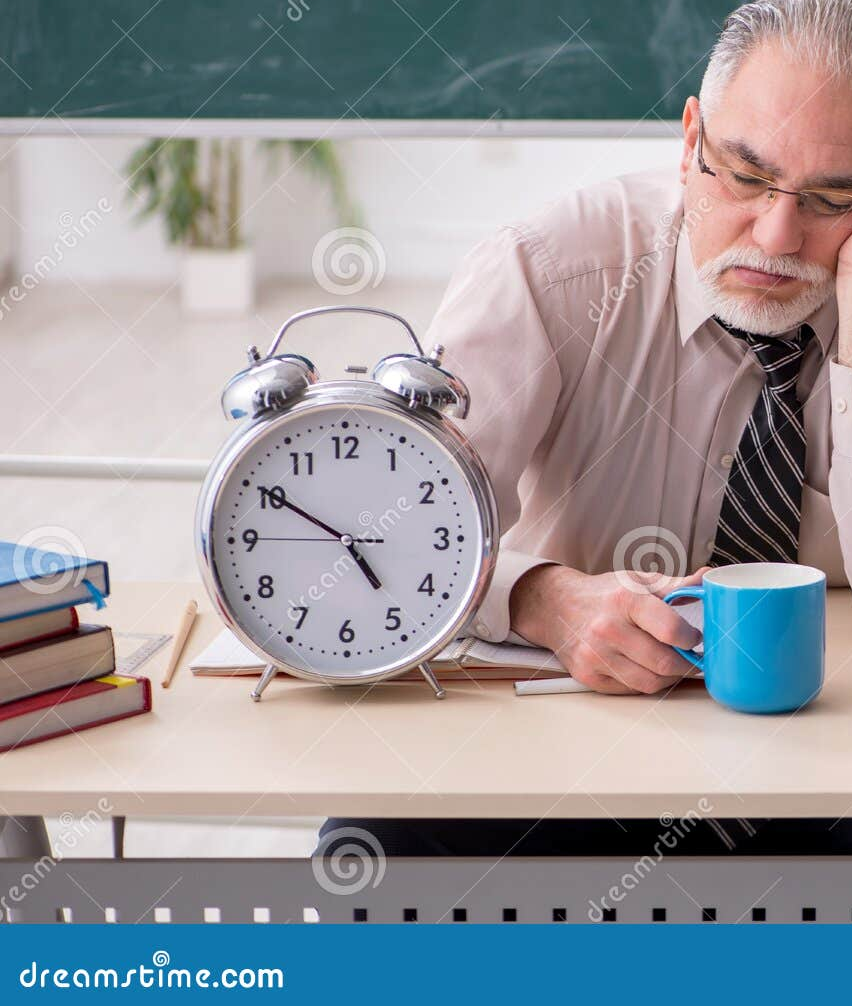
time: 4:50
